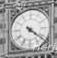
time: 4:21
